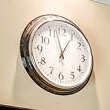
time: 12:57
